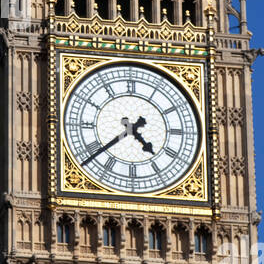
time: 4:38
